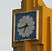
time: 6:43
